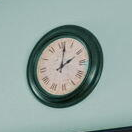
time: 2:01
